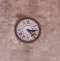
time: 3:22
